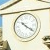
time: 10:20
